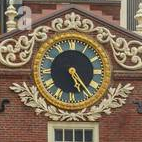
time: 5:23
